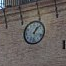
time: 1:07
